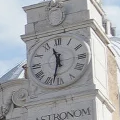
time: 11:32
